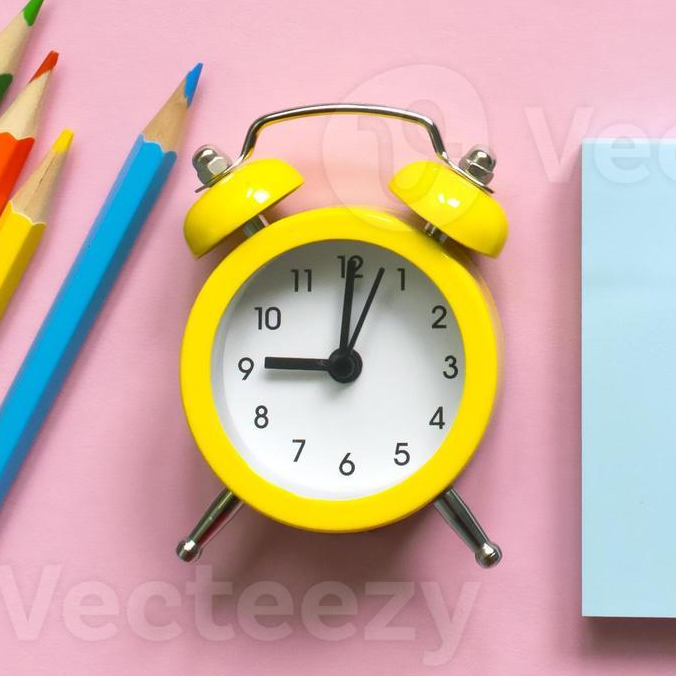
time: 9:01
